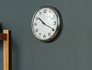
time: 10:19
